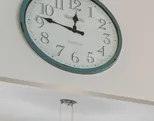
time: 11:46
